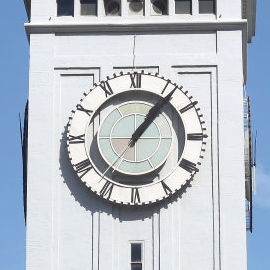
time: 1:06
